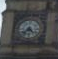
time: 4:37
